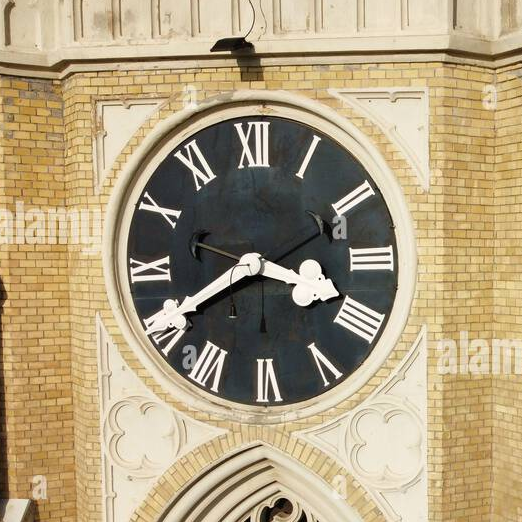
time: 3:40
